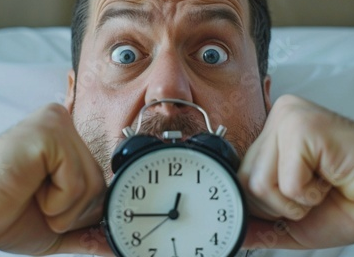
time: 12:45
